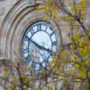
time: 3:50
